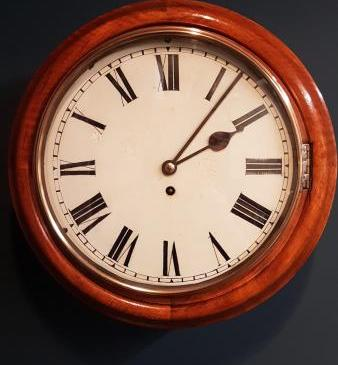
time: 2:06
